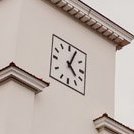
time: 4:04
